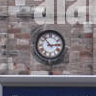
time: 2:53
